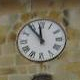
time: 11:53
